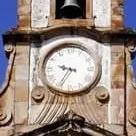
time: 9:35
